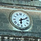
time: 6:11
